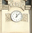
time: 12:07
